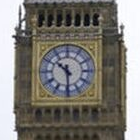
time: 10:29
